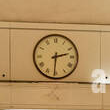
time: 2:30
